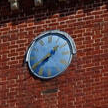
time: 1:40
